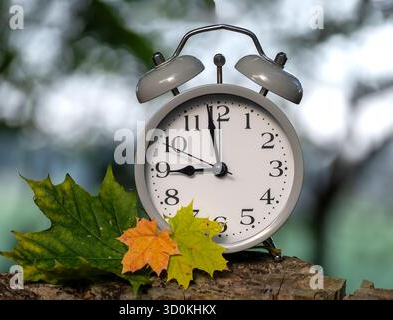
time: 8:58
